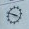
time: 3:48
